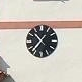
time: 10:36
